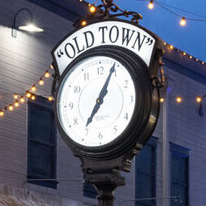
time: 7:04
